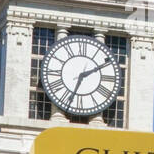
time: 2:33
